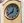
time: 12:40
